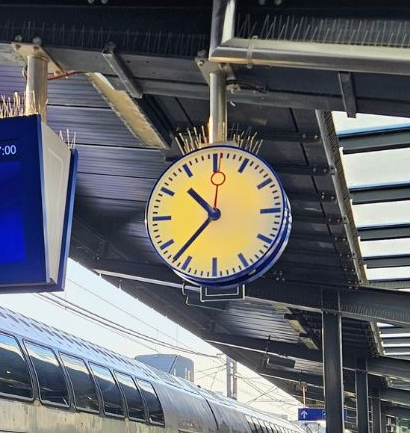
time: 10:37
